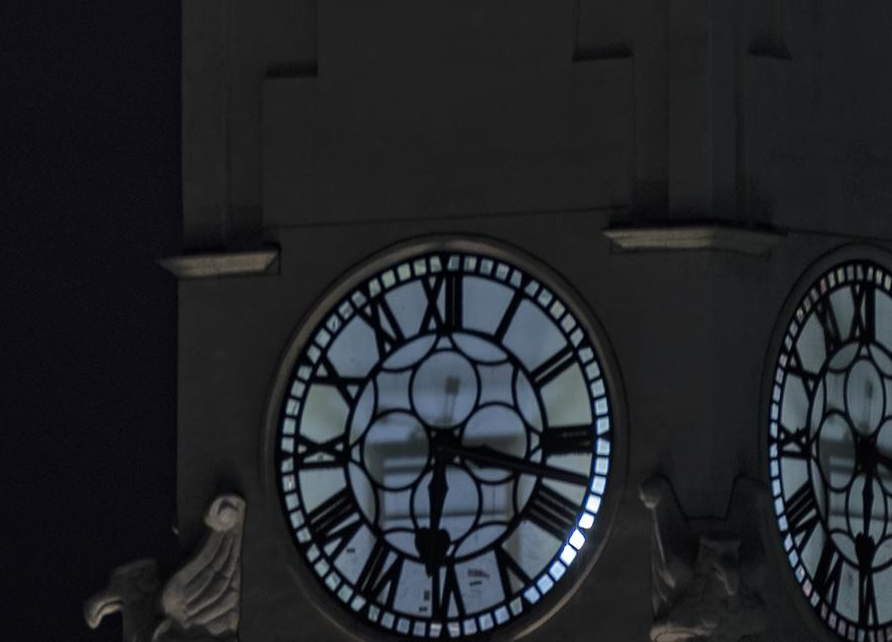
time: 6:17
